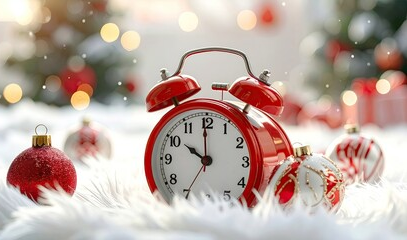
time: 9:59
